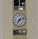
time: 7:11
